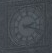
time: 2:18
